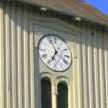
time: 6:55
